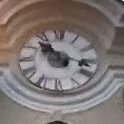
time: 10:17
